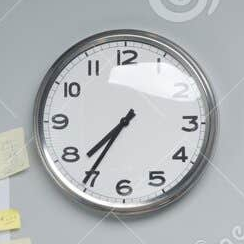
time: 7:35
